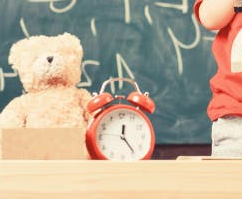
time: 12:24
